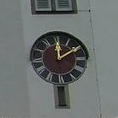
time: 12:09
